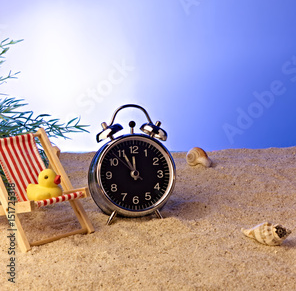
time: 11:55
